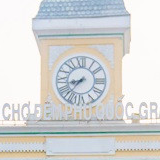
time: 8:37
